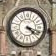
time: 4:18
